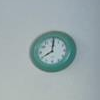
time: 8:00
